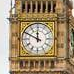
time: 11:49
